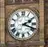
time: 2:18
